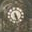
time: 5:26
